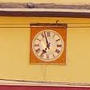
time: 6:57
